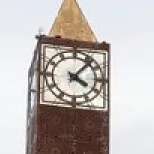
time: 4:06
